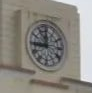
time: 11:44
